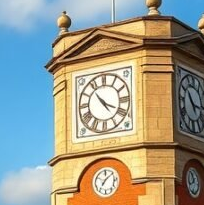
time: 3:53
